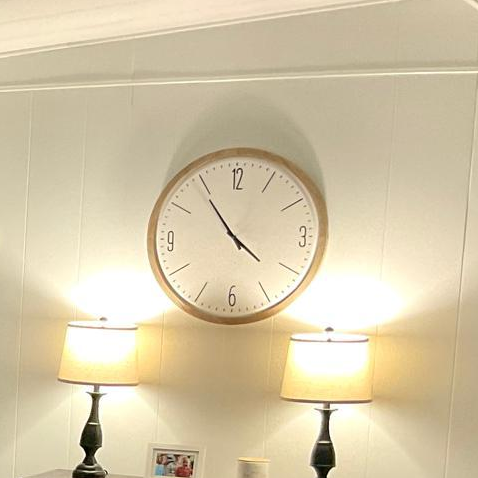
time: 3:54
